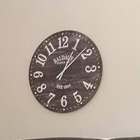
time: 1:08
